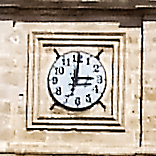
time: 3:01
